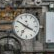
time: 3:50
